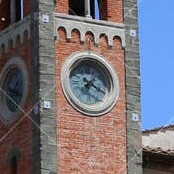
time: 7:19
